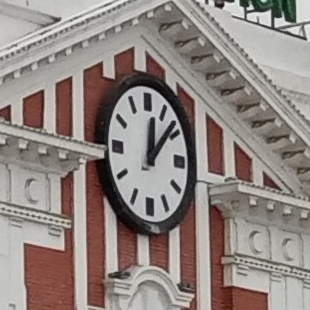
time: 12:07
